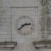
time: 2:38
